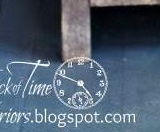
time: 4:48
